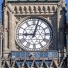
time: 9:02
